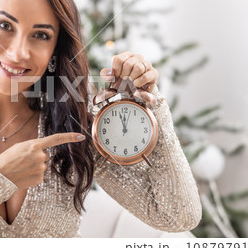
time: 11:57
